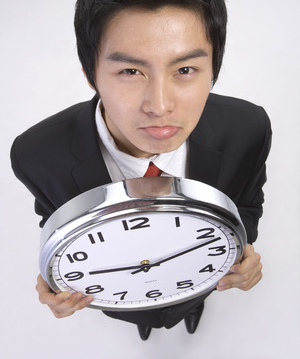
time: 9:11
